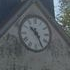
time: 10:25
